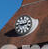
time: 2:46
